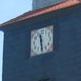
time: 11:28
